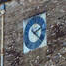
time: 2:21
